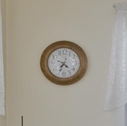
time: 4:34
